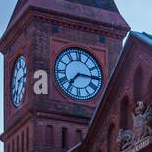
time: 7:15
